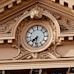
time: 7:31
